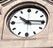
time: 10:15
